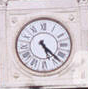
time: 5:22
